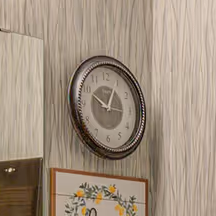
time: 10:04
